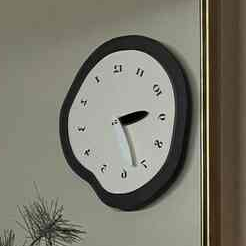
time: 2:27
